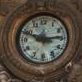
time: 2:48
